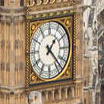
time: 1:22
